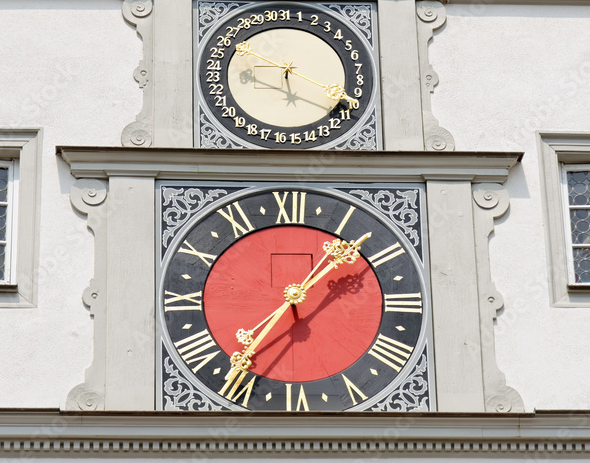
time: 1:36
